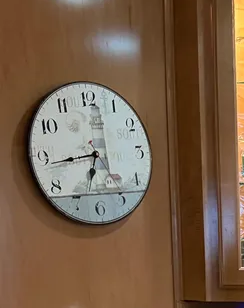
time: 6:43
